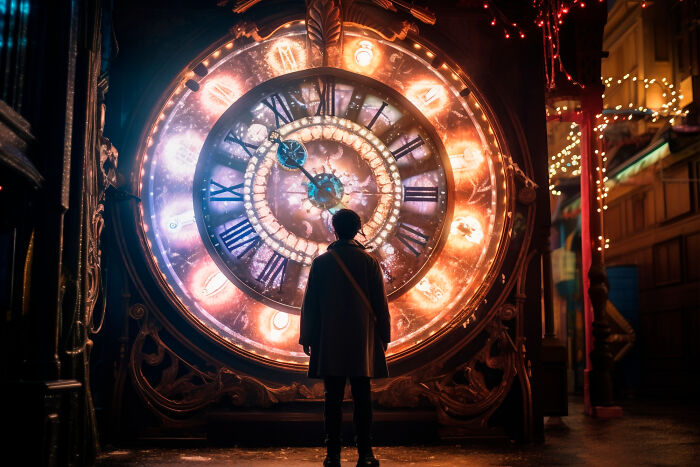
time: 4:52
